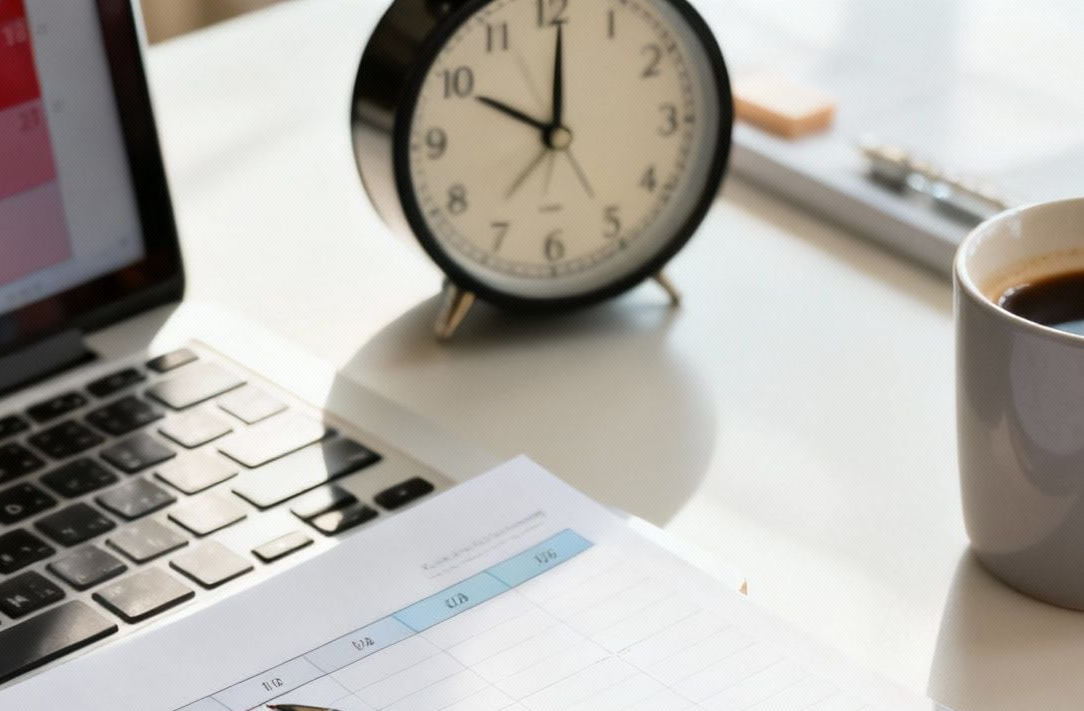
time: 10:00
